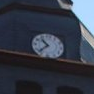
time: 10:37
